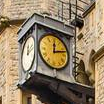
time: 12:12
